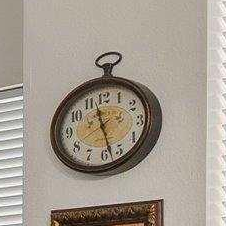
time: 11:27
